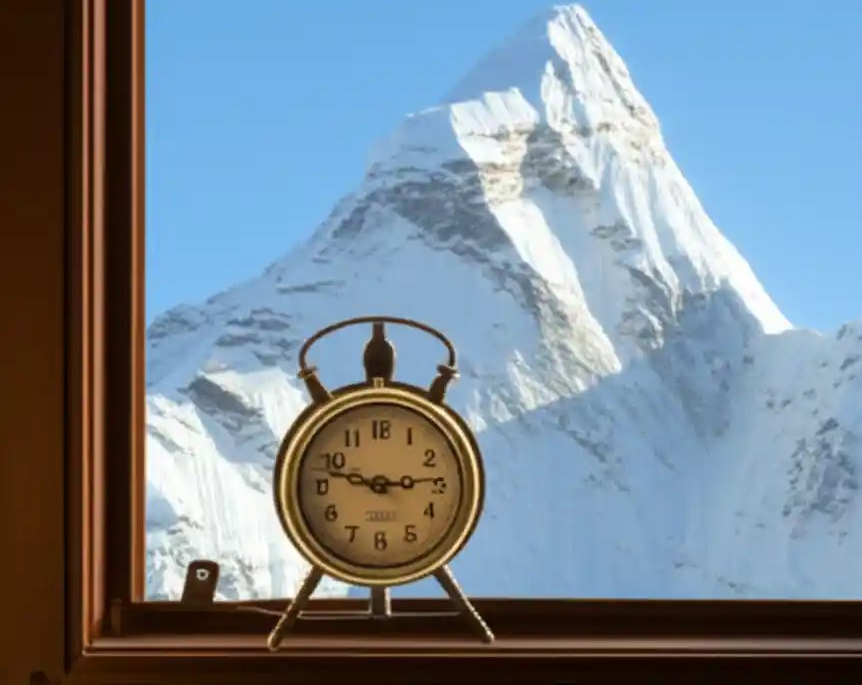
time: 2:48
